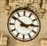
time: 2:50
